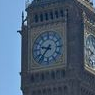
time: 9:37
